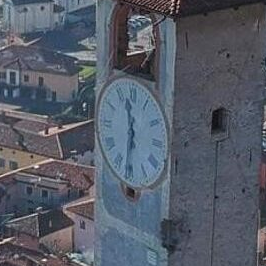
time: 11:32
